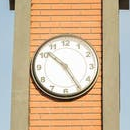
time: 10:24
